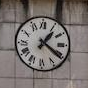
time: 1:20
